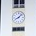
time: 8:07
